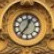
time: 12:36
